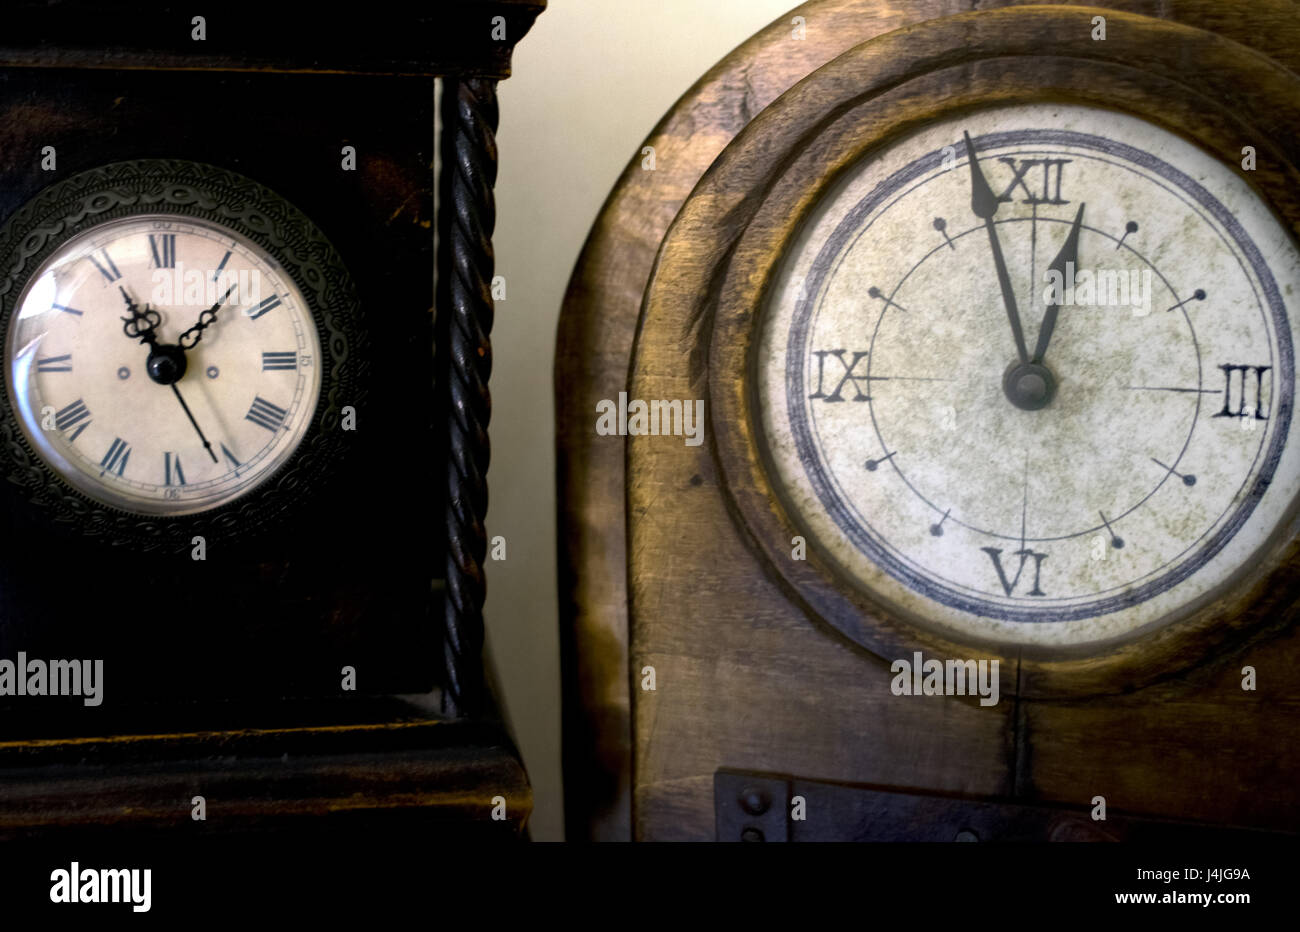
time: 12:58
